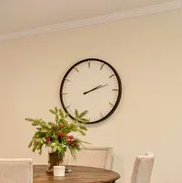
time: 2:12
